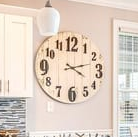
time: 4:12
